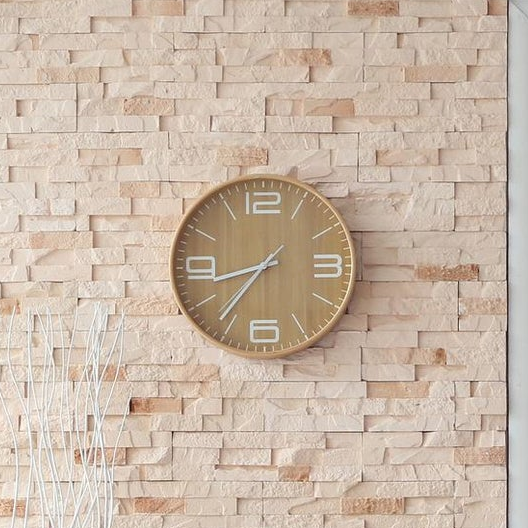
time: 8:36
